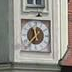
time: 11:36
